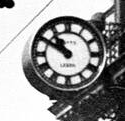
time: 10:50
